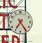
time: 7:24
